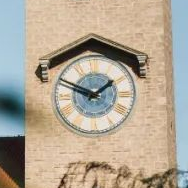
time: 1:49
